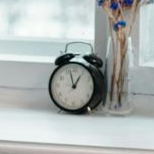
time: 12:57
